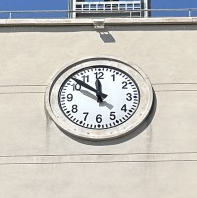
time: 11:51
